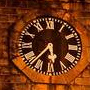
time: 5:37
